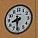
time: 8:30
